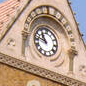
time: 10:47
